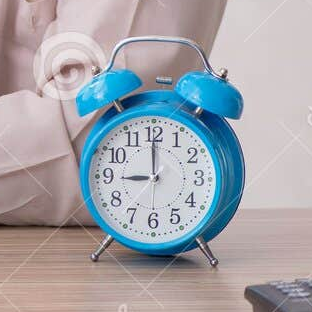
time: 8:59
